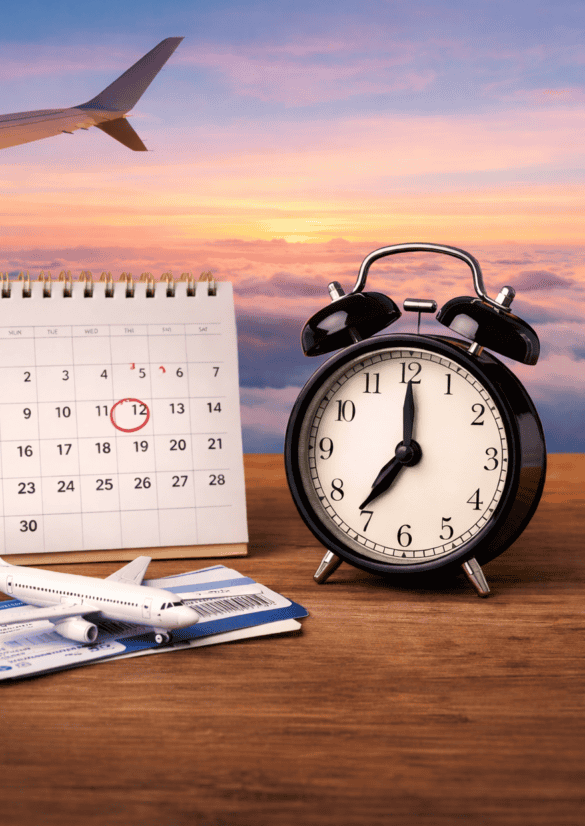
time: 7:00
